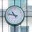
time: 10:47
